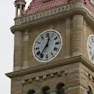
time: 12:36
